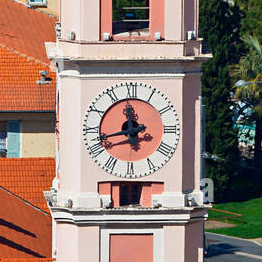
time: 11:42
